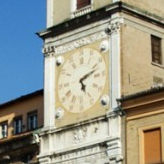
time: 5:12
